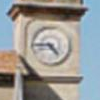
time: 4:44
